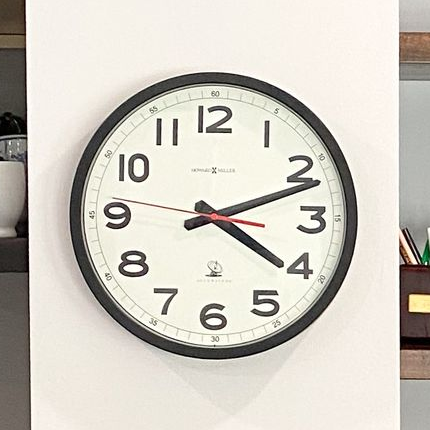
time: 4:11
